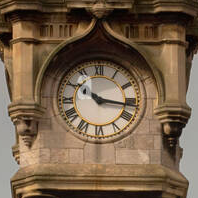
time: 10:16
